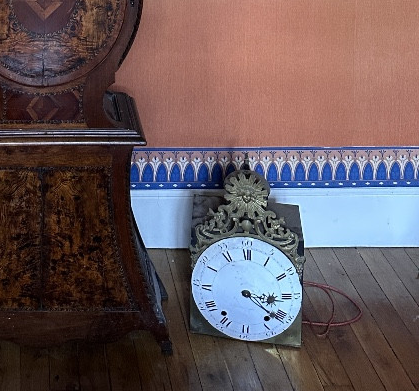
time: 4:14
